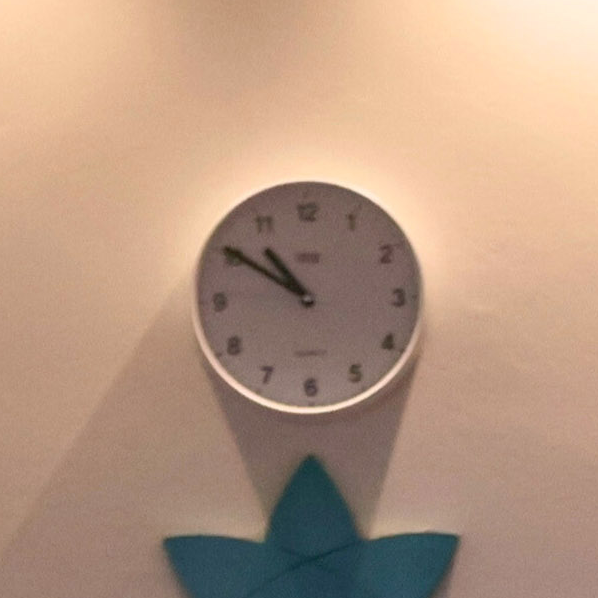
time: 10:50
